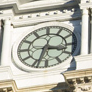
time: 3:33
